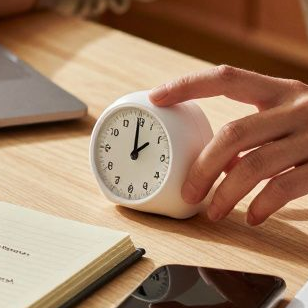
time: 2:00
